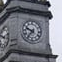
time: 9:36
